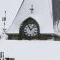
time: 11:07
